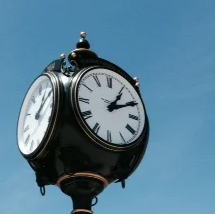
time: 1:10
